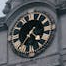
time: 4:35
